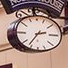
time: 2:36
